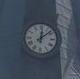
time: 12:08
